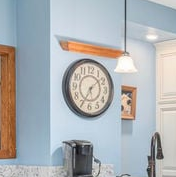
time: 1:34
